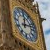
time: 12:12
